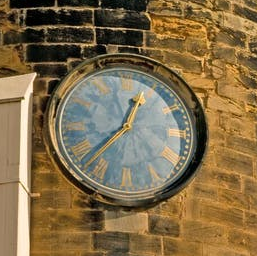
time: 12:37
